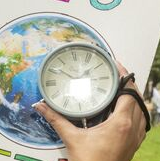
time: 1:46
